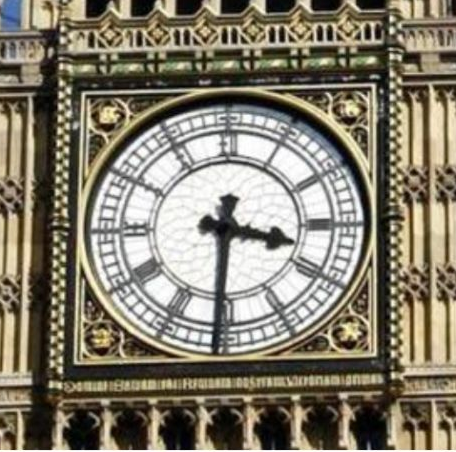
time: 3:30
